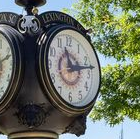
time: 11:13
